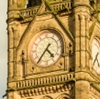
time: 4:35
